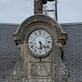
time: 5:21
